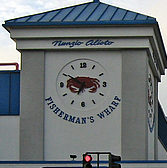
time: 6:50
